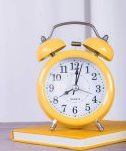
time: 8:01
